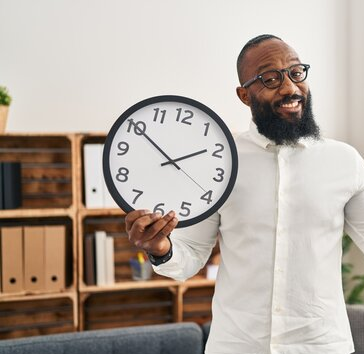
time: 1:50
